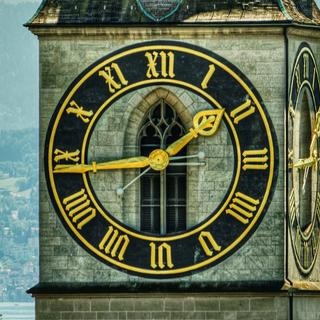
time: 1:44
